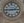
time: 2:45
